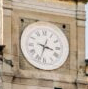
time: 3:33
